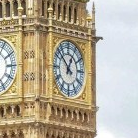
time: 12:52
